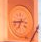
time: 6:43
